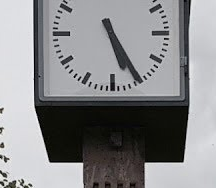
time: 5:25
